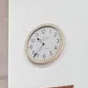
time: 10:37
